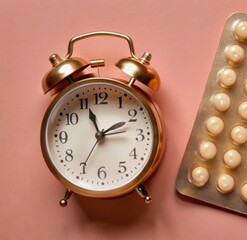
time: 1:56
